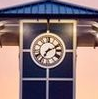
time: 7:11
